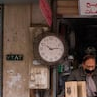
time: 10:13
